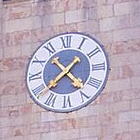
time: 4:38
